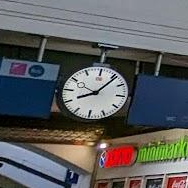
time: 8:06
